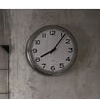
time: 8:06
